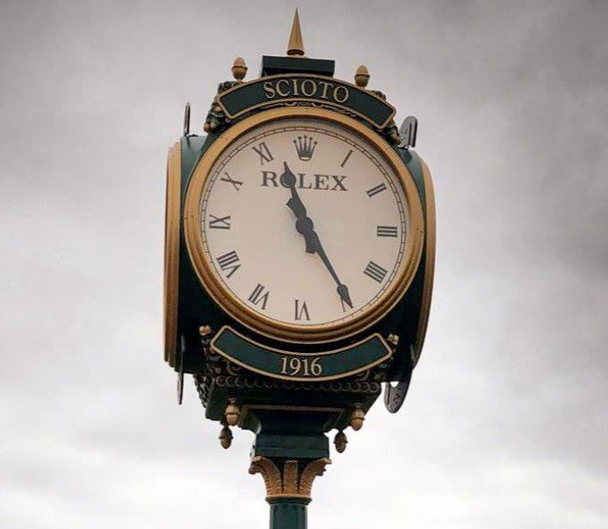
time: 11:24
